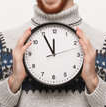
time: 11:55
